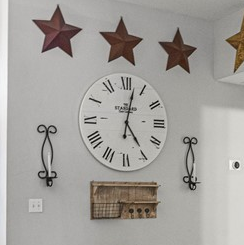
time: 5:02
